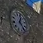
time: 12:23
